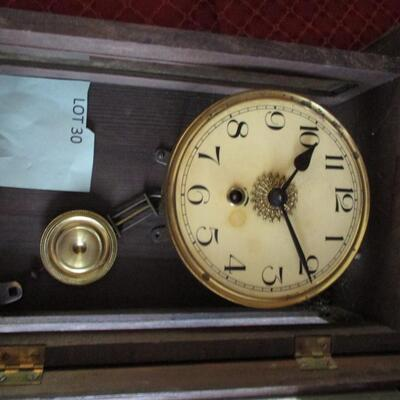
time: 1:25
